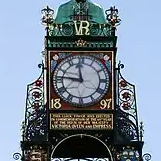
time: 11:46
